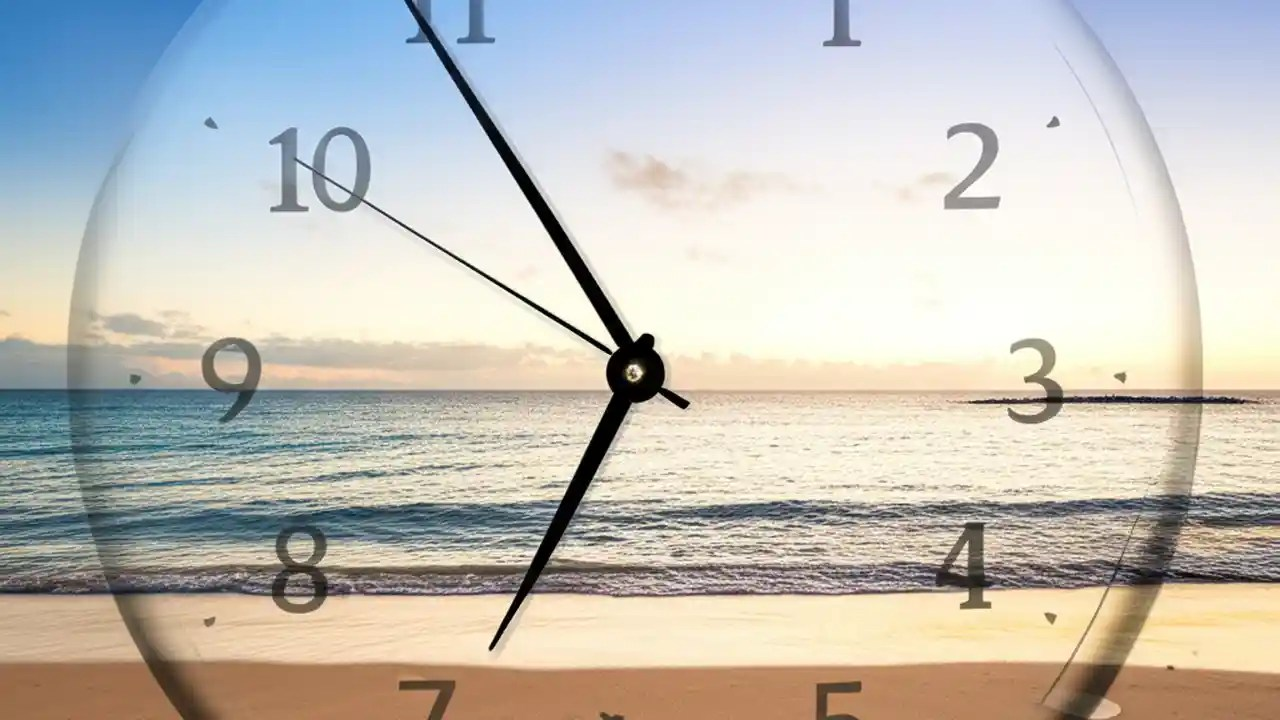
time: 6:54
